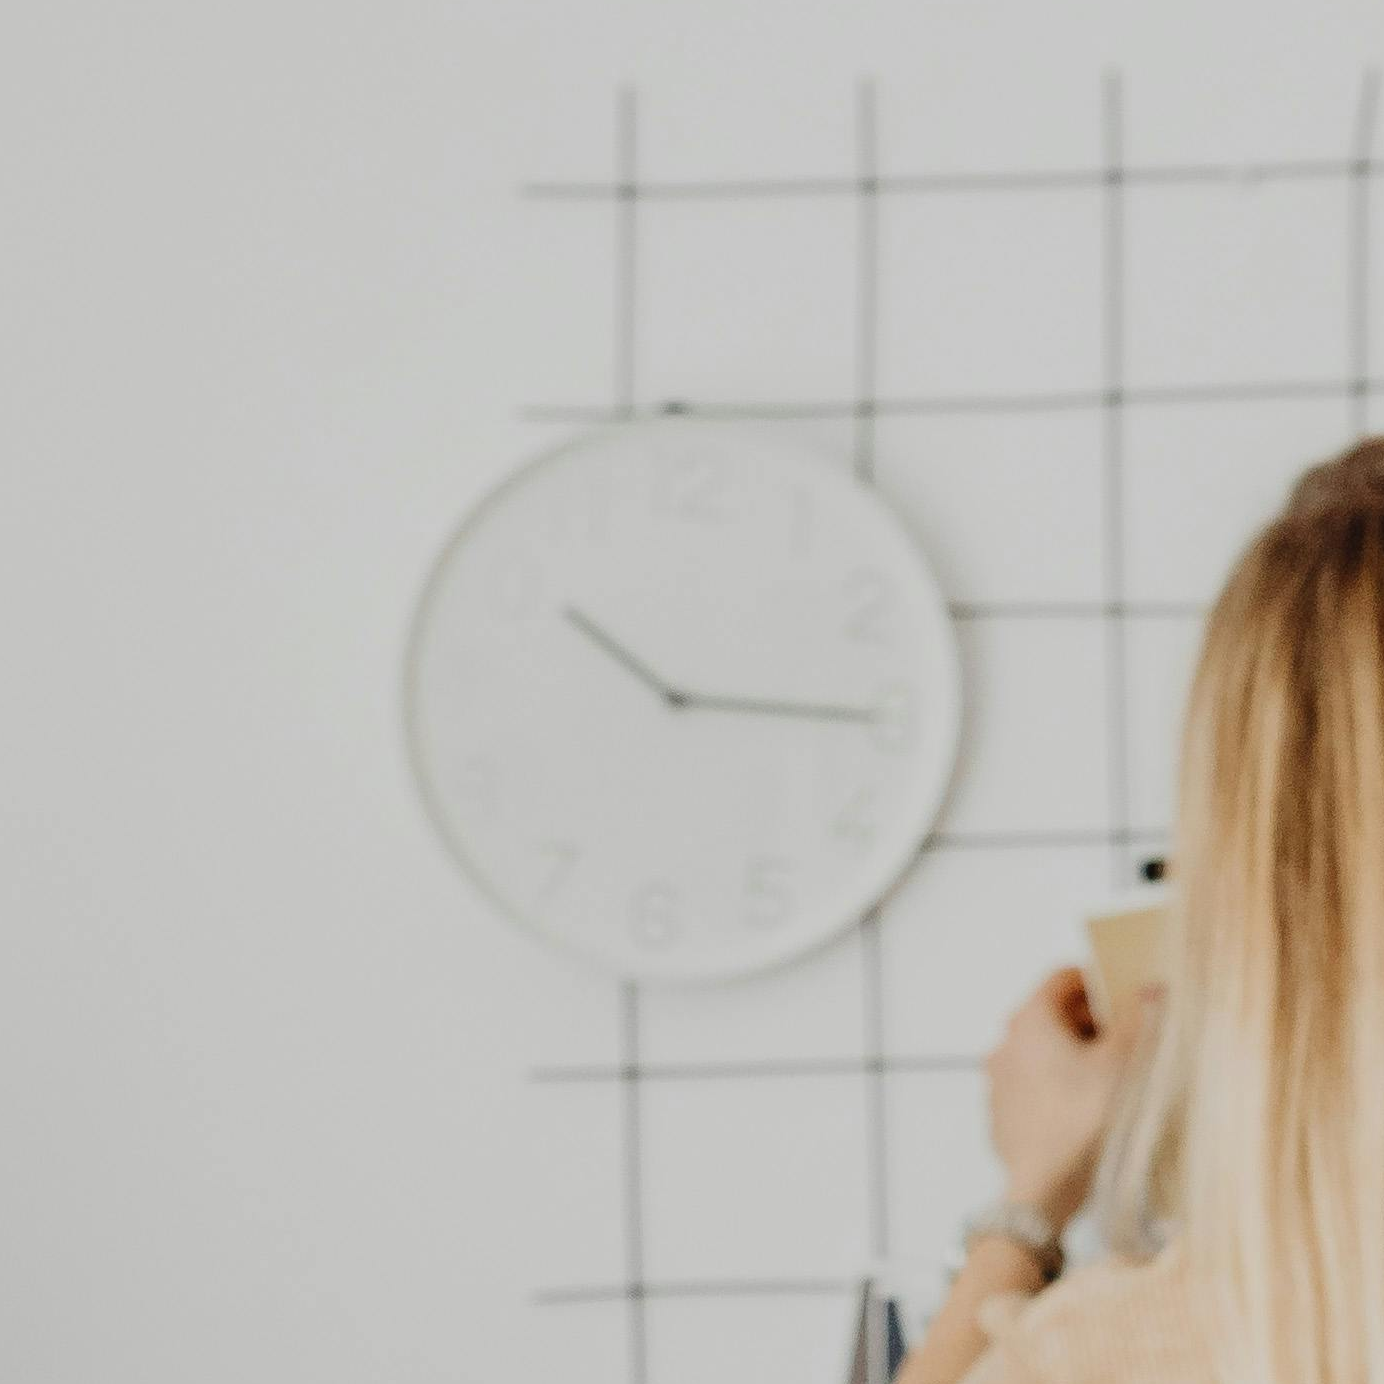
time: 10:14
